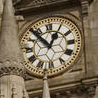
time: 12:53
